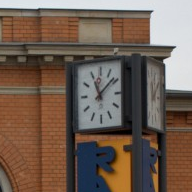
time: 11:08
